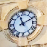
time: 11:10
